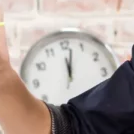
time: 12:02
